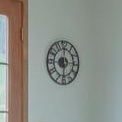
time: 5:59
